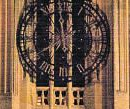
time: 5:59
